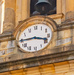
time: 3:44
